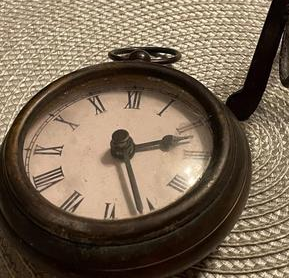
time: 2:26
